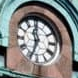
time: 11:33
